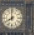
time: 7:59
